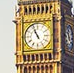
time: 10:56
